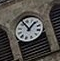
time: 12:52
